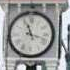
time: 11:17
